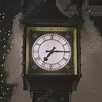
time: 7:15
